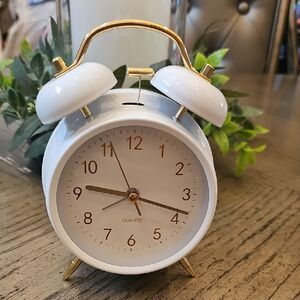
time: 9:18
